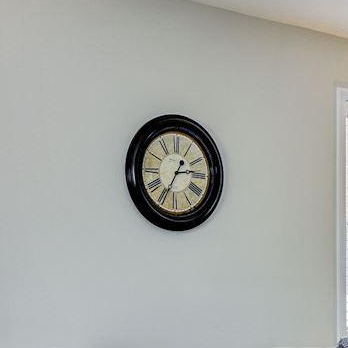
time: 2:34
